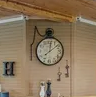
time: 12:08
